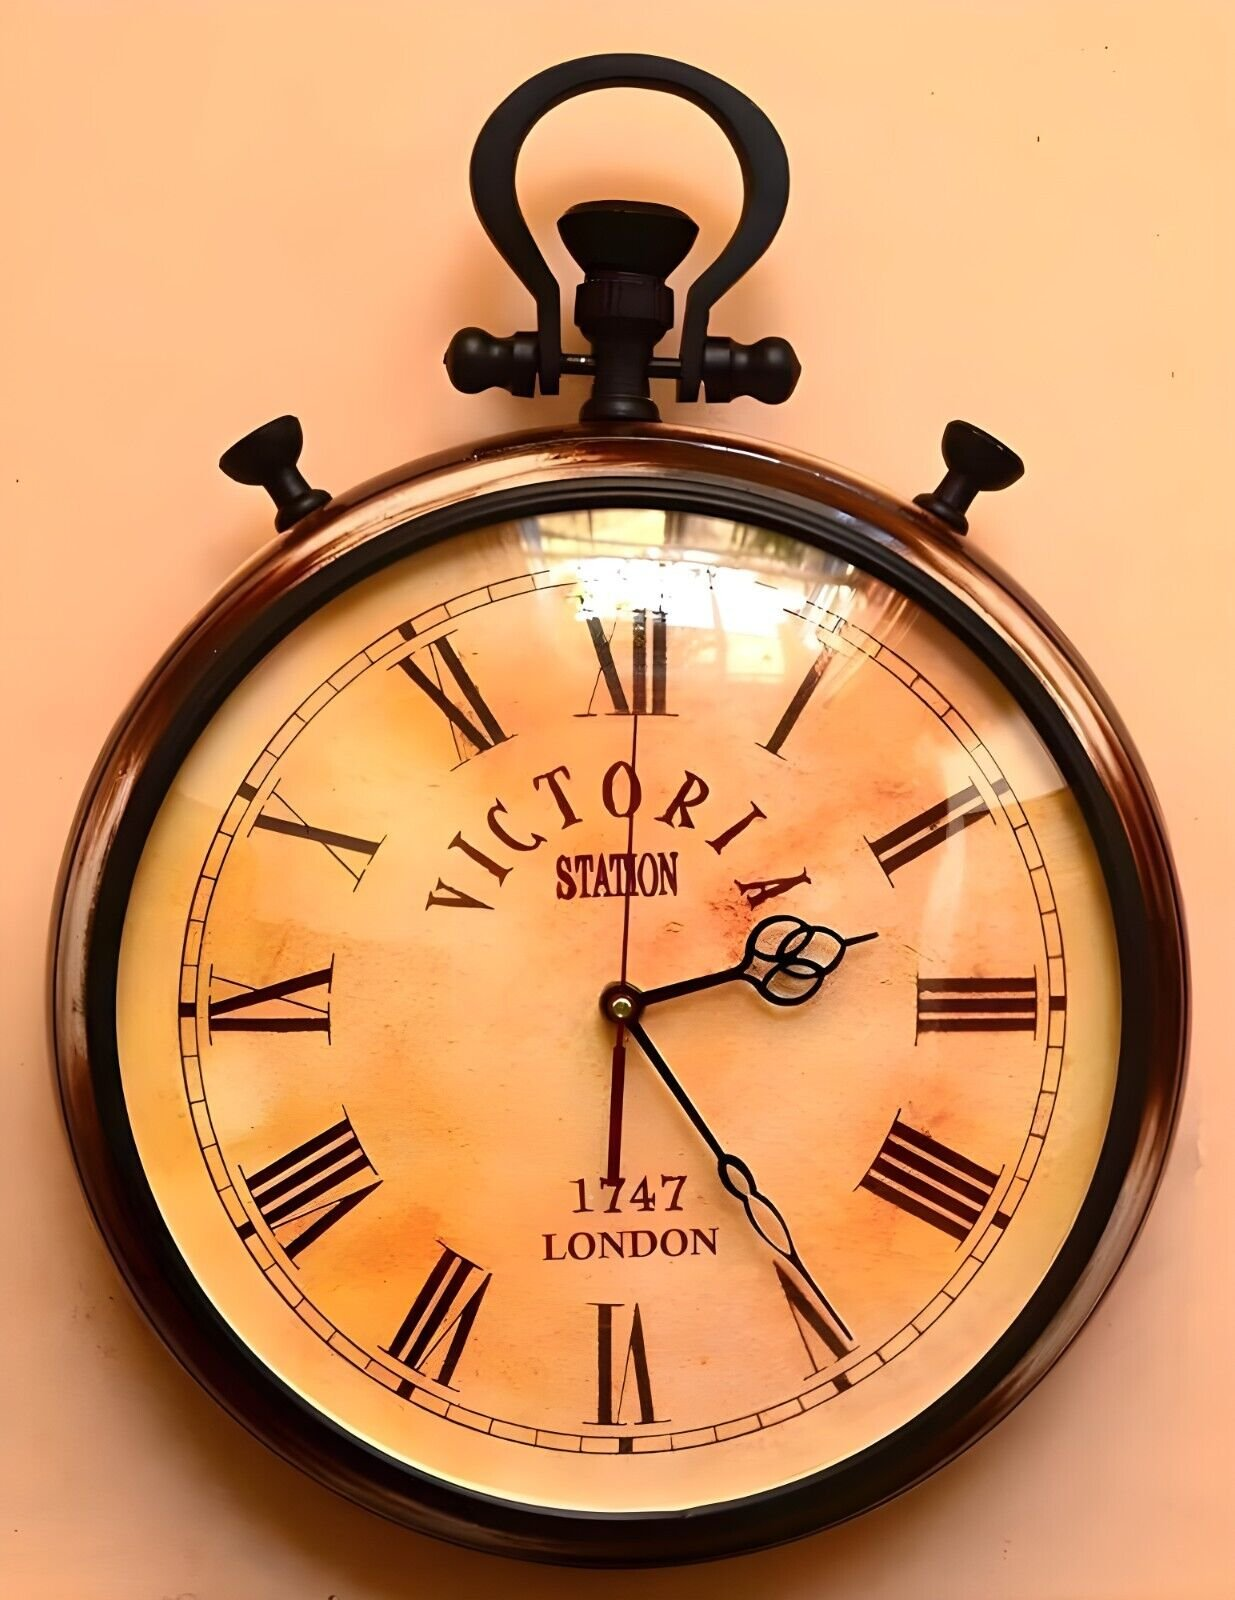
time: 2:24
